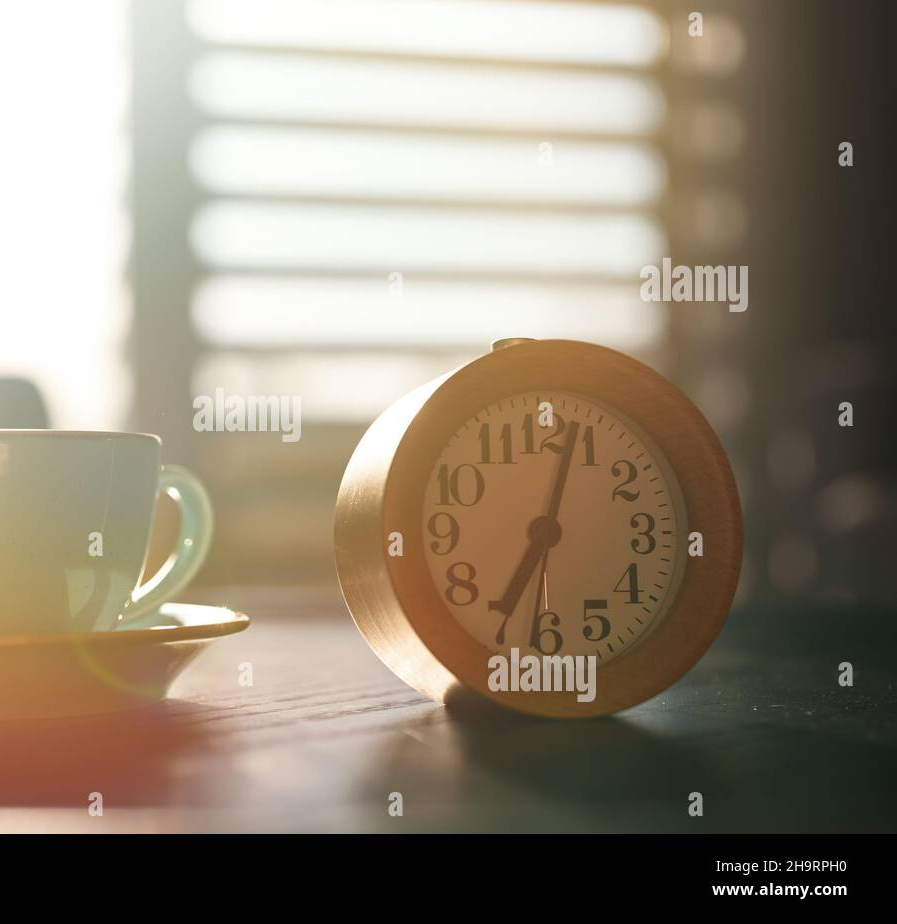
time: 7:03
